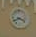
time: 3:40
